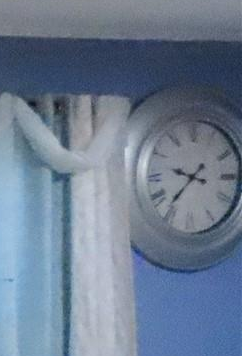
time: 9:36
